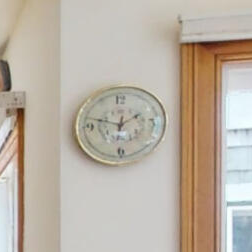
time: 1:47
